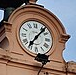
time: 7:06
